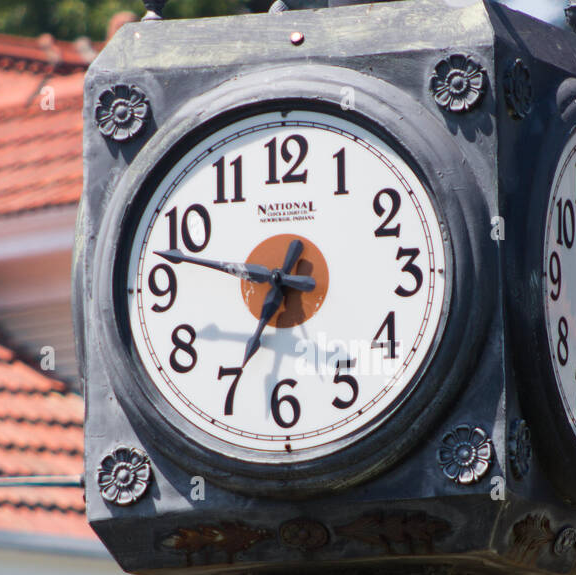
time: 6:47
